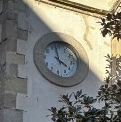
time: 3:58
